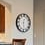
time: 12:28
